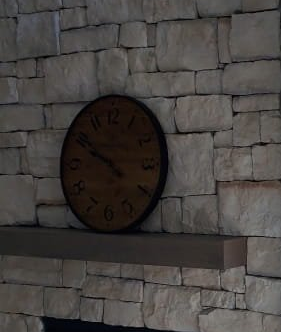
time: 9:50
